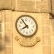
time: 7:54
